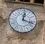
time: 12:17
